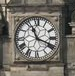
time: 11:18
